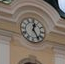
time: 12:24
